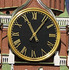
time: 11:06
